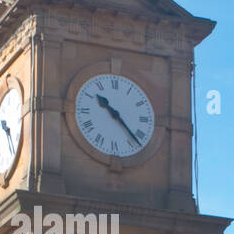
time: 10:22
